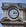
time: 1:13
